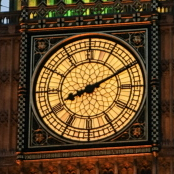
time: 8:10
